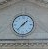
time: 1:37
